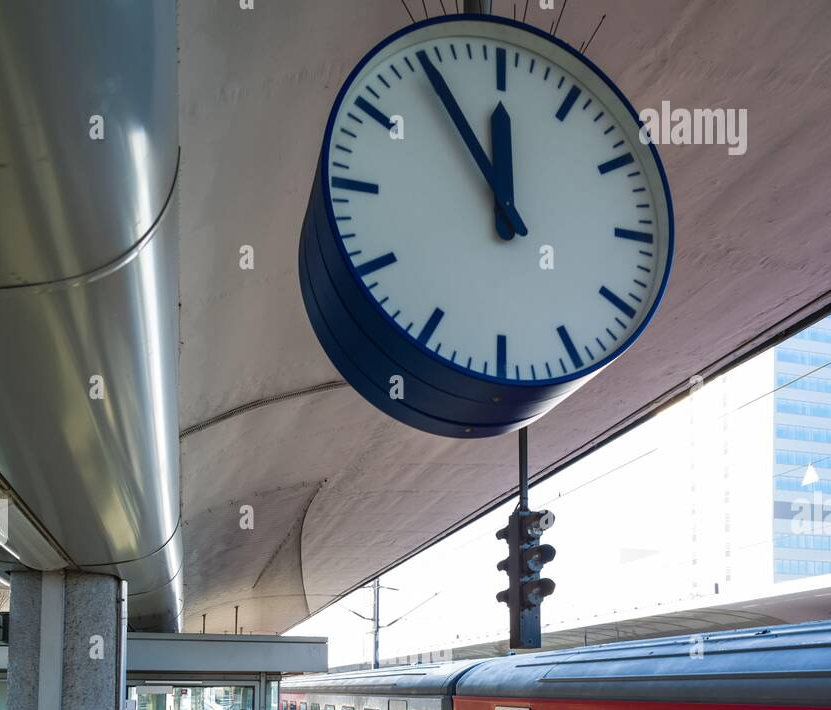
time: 11:54
